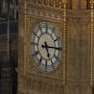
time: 5:15
